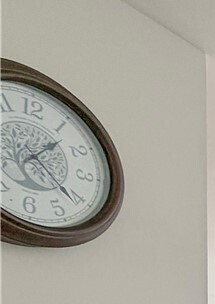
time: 1:21
